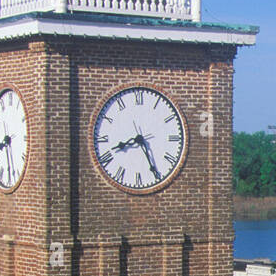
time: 8:25
